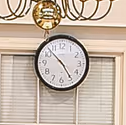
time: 4:52
